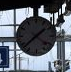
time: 1:37
